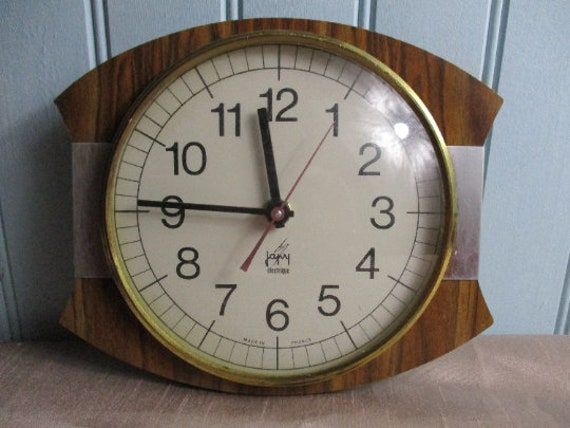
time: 11:45
